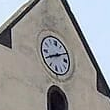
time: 8:10
